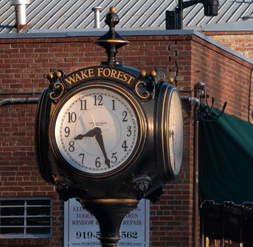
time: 8:27
